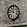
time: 11:47
